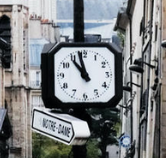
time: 10:58
